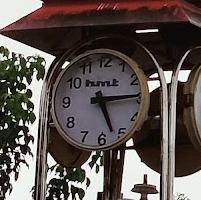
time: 5:14
